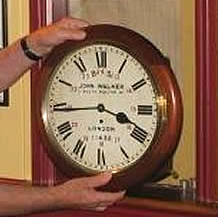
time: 3:43
